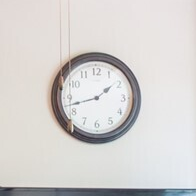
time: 1:42
